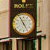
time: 4:55
